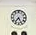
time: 7:25
